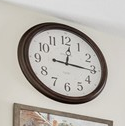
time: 12:15
